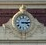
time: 3:14
